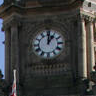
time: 1:01
